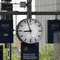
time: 8:57
